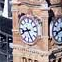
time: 8:25
